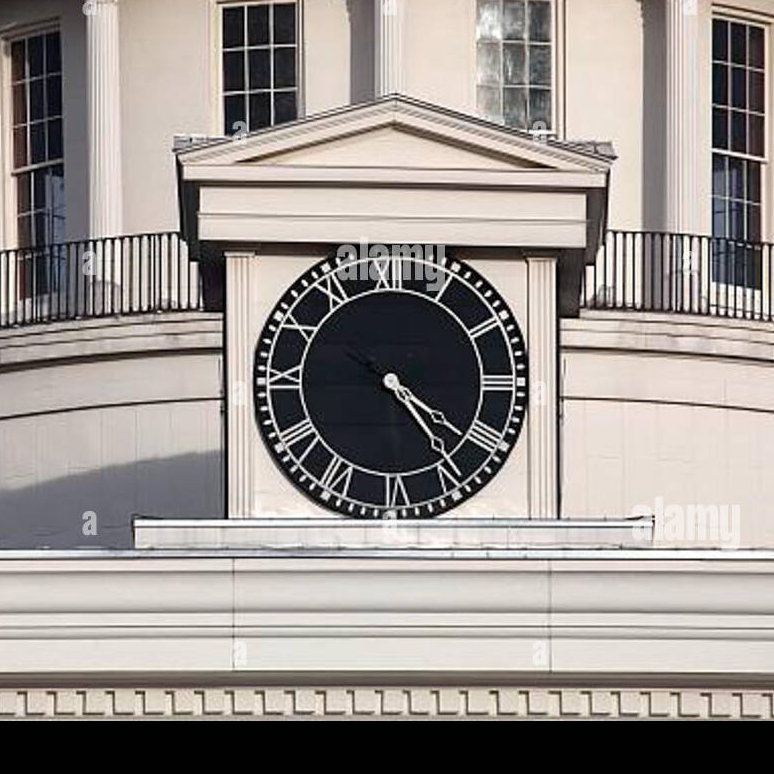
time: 4:20
